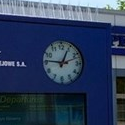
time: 12:46
